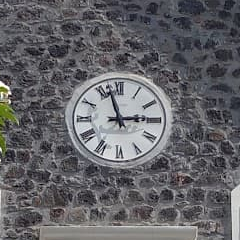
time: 2:57
